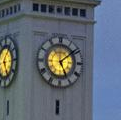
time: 5:08
